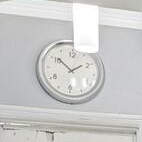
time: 1:51
